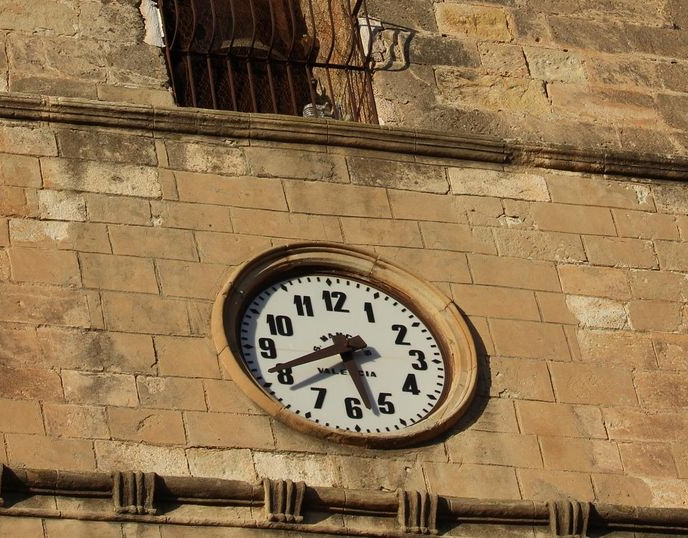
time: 5:40
